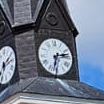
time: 2:32
